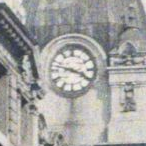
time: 3:47
